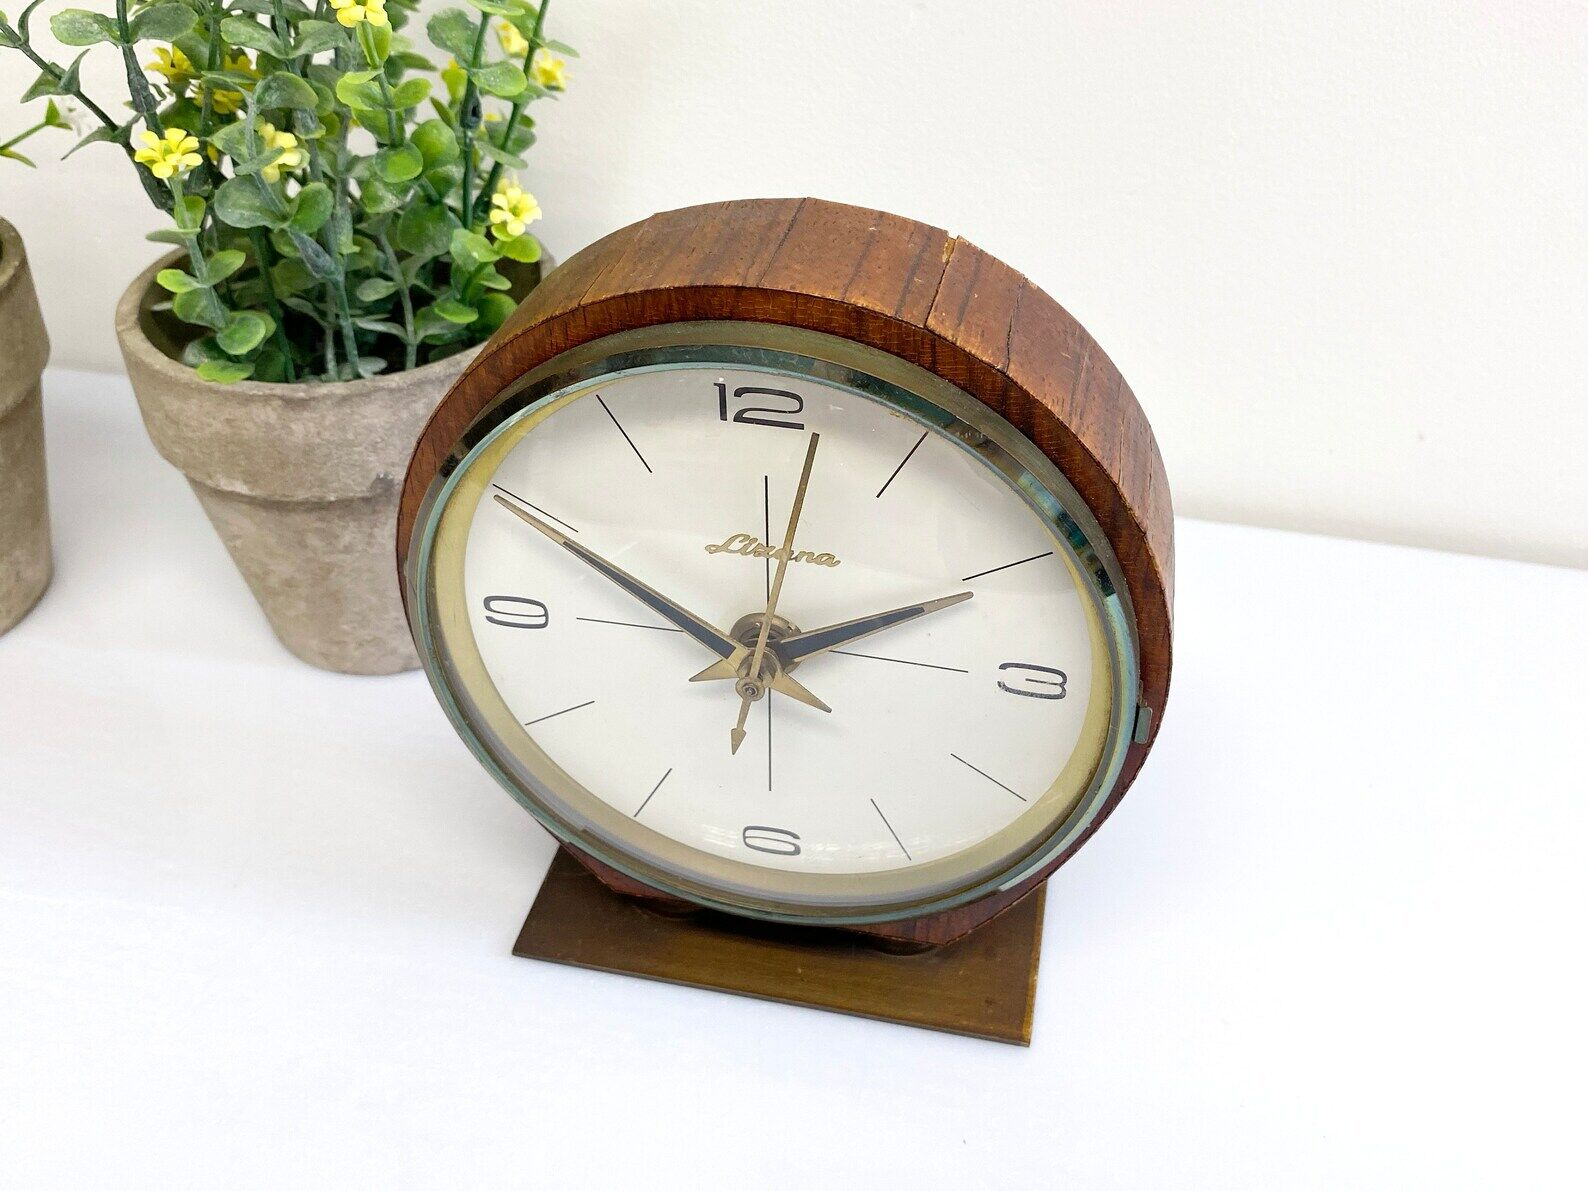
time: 2:01
